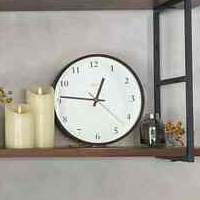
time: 12:46
